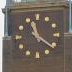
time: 11:21
